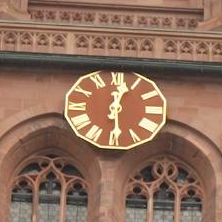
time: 12:29
